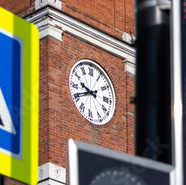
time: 9:40
